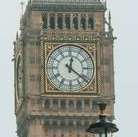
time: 12:21
